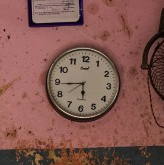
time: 5:44
